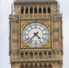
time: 4:37
